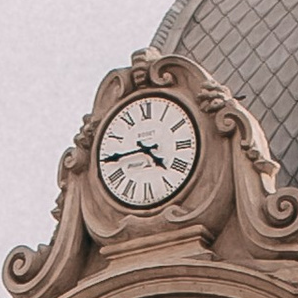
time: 4:44
